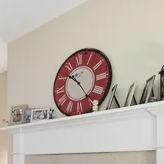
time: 10:24
